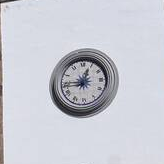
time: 12:45
